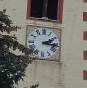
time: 2:16
